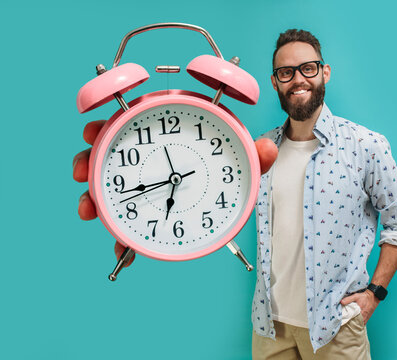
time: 6:42
